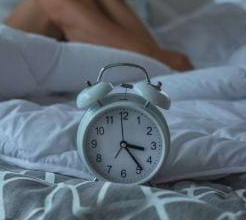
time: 3:23
